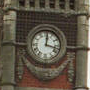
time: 12:17
